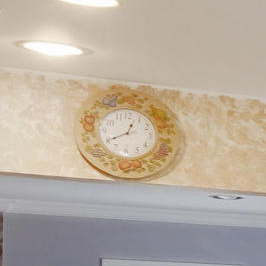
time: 12:40
